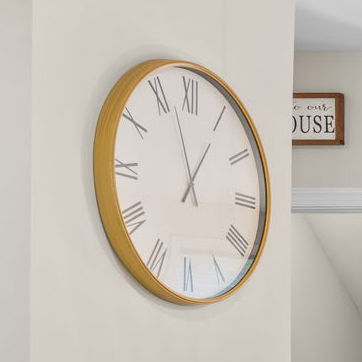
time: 12:57
